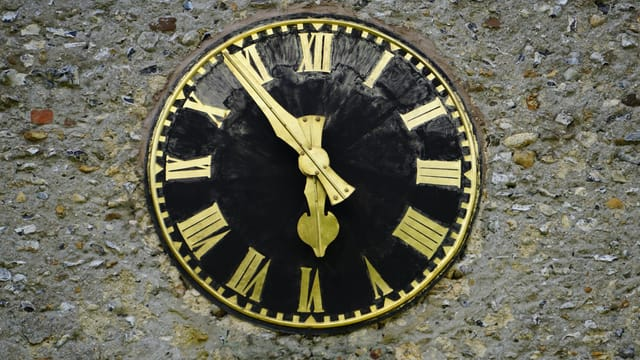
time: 5:53
